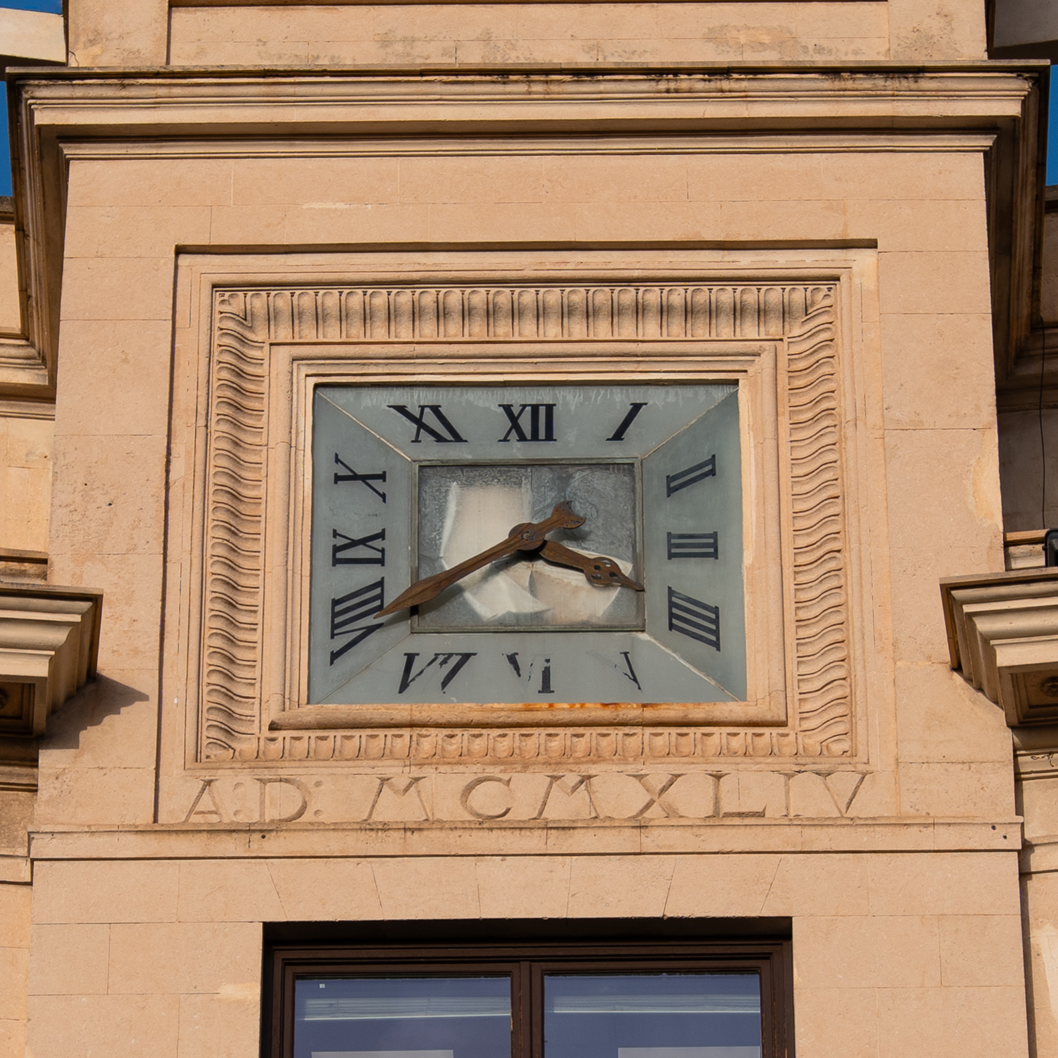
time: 3:39
